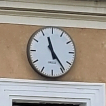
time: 11:23
